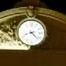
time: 8:22
